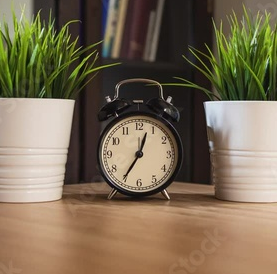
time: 12:35
